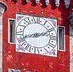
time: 2:42
